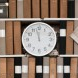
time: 11:57
